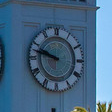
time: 9:47
